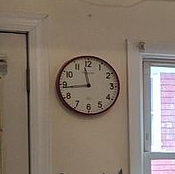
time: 11:43
